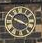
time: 3:48
